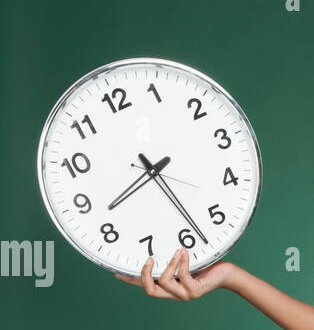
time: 8:27
